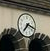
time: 7:17
